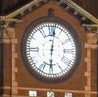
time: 6:01
